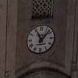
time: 11:07
